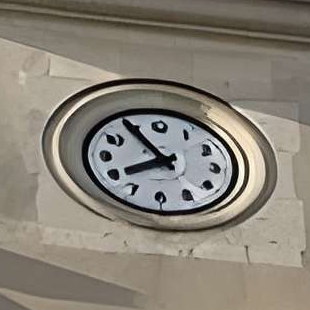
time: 7:54
